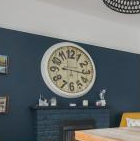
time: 9:16
